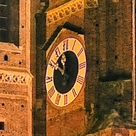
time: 11:50
